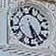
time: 5:23
